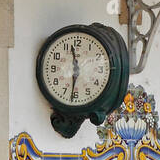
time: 11:31
